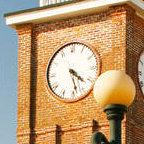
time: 4:27
